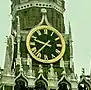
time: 9:36
